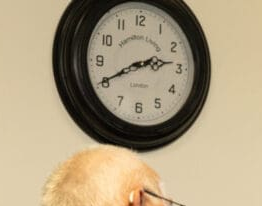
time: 2:40
